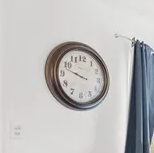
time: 9:47
